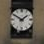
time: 1:50
